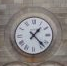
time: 1:22
